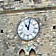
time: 11:02
